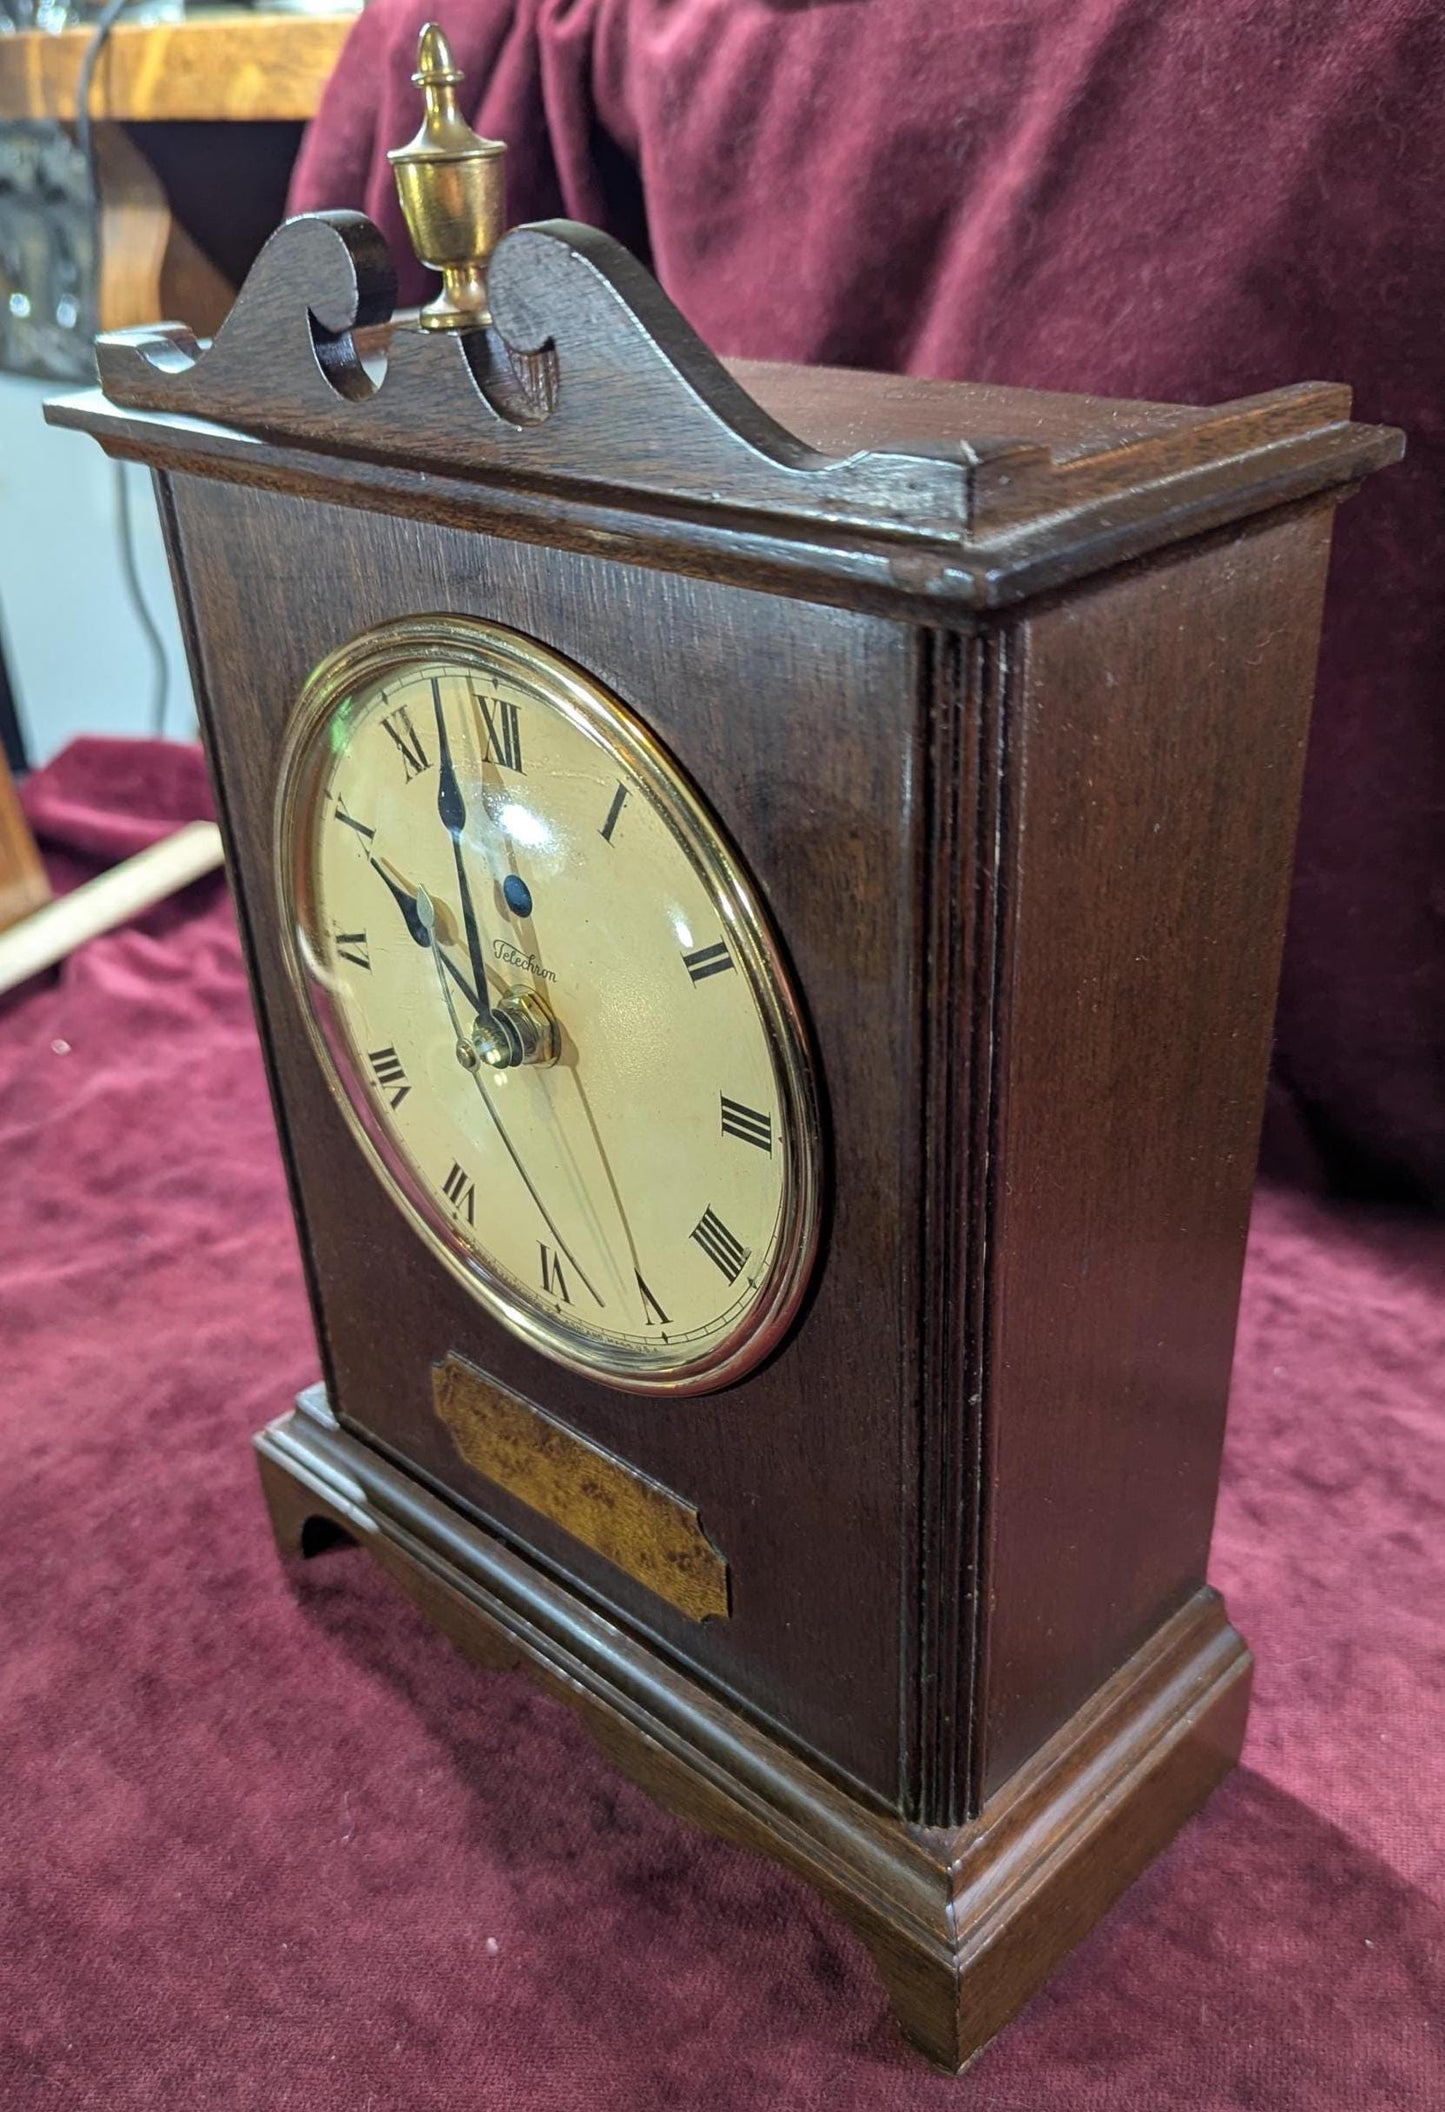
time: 9:57
